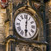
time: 6:01
